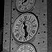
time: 11:28
